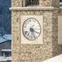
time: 5:18
